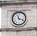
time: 11:18
